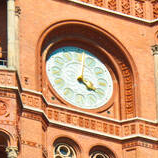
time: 4:01
